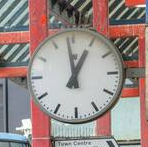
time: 12:58
